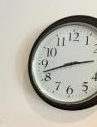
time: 2:42
